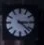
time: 4:14
